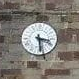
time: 3:28
